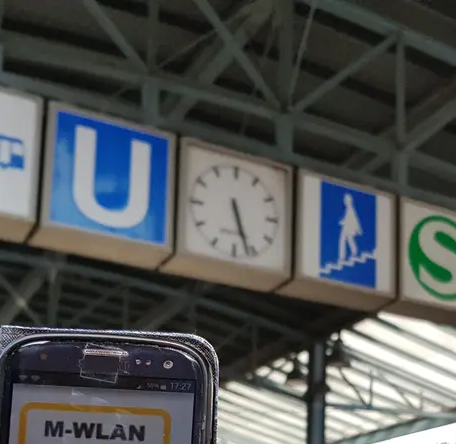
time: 5:26
